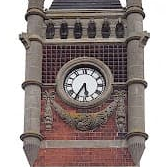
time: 5:35
